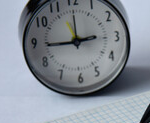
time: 2:44
